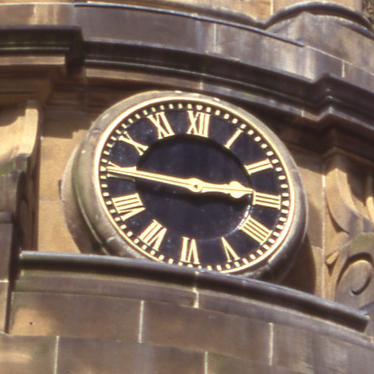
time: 2:45
